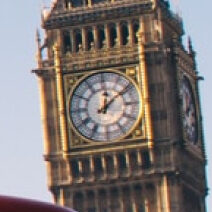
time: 12:09
